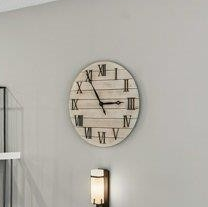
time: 2:54
